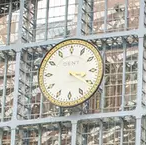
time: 3:20
